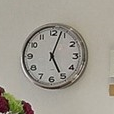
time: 5:03
